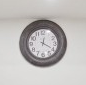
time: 12:19
